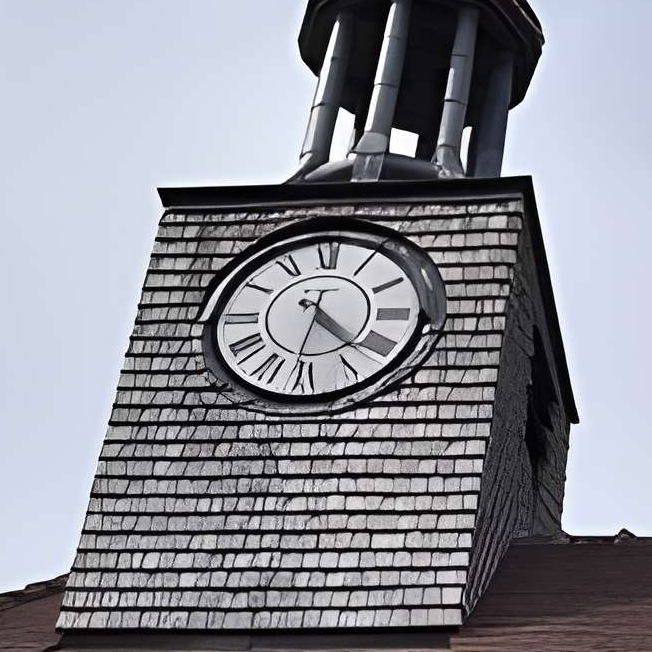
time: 4:31
